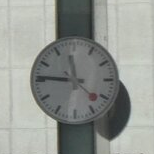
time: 11:45
